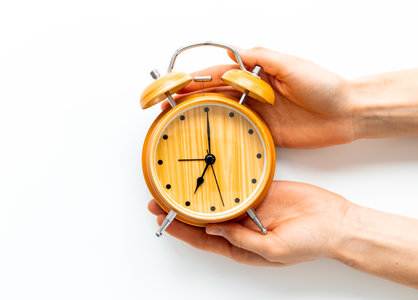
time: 7:00
